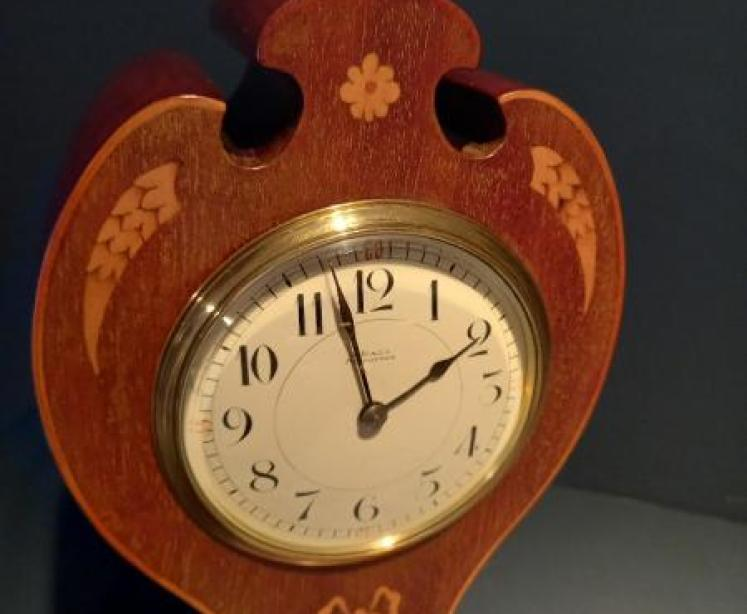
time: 1:57
